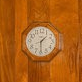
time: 1:30
